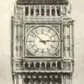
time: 2:52
